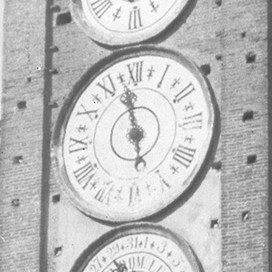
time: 5:58
